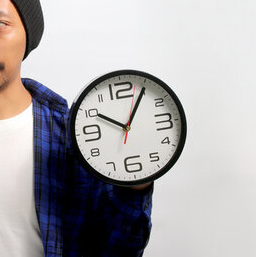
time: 10:05
